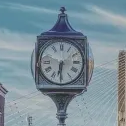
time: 6:30
